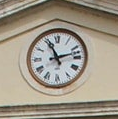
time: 11:12
